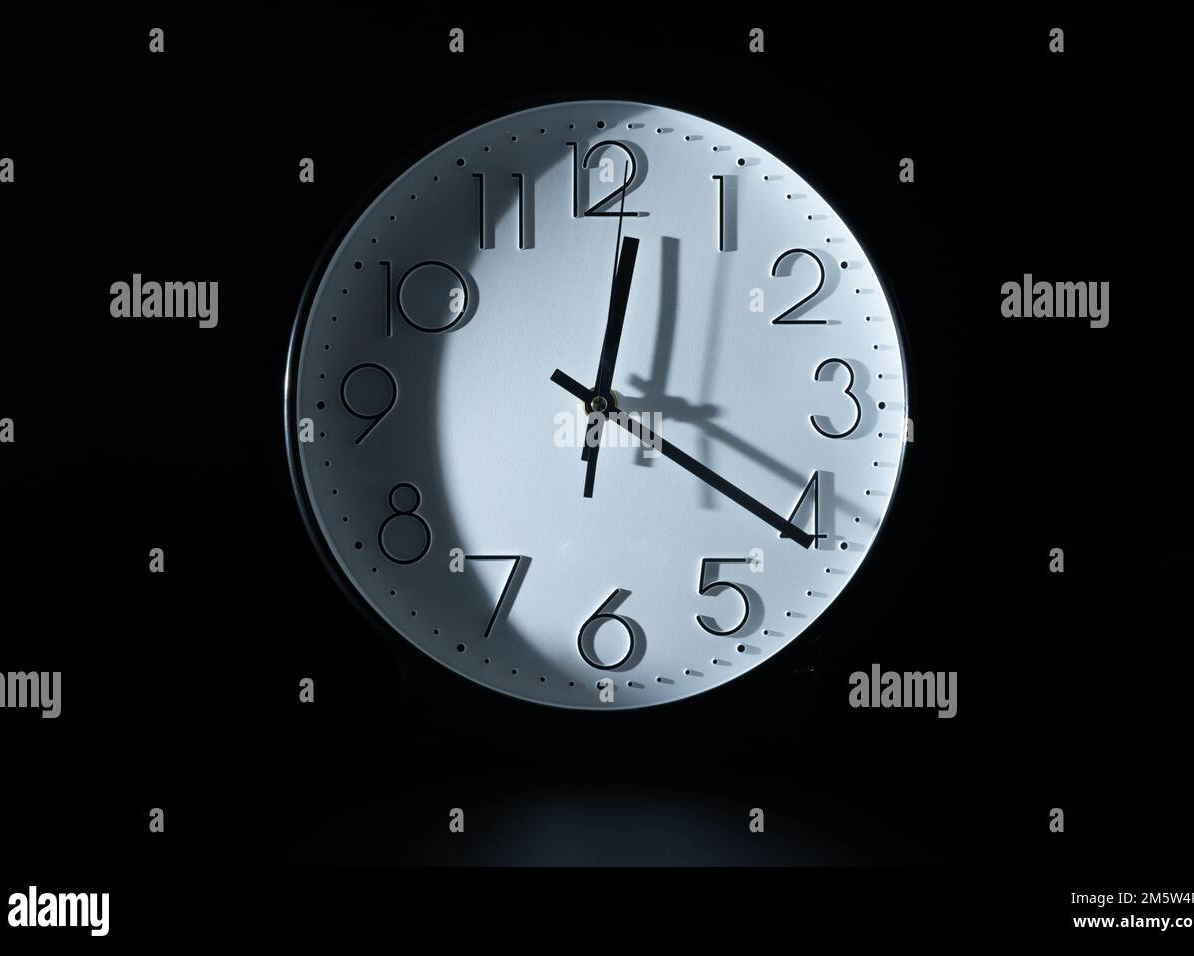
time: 12:20
